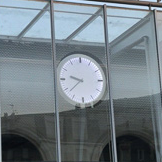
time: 9:38
